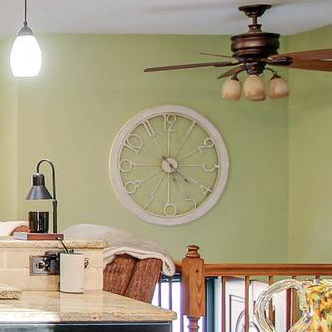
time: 4:20
